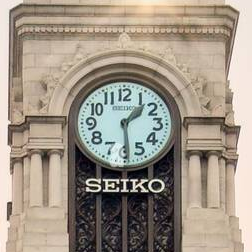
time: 1:29
